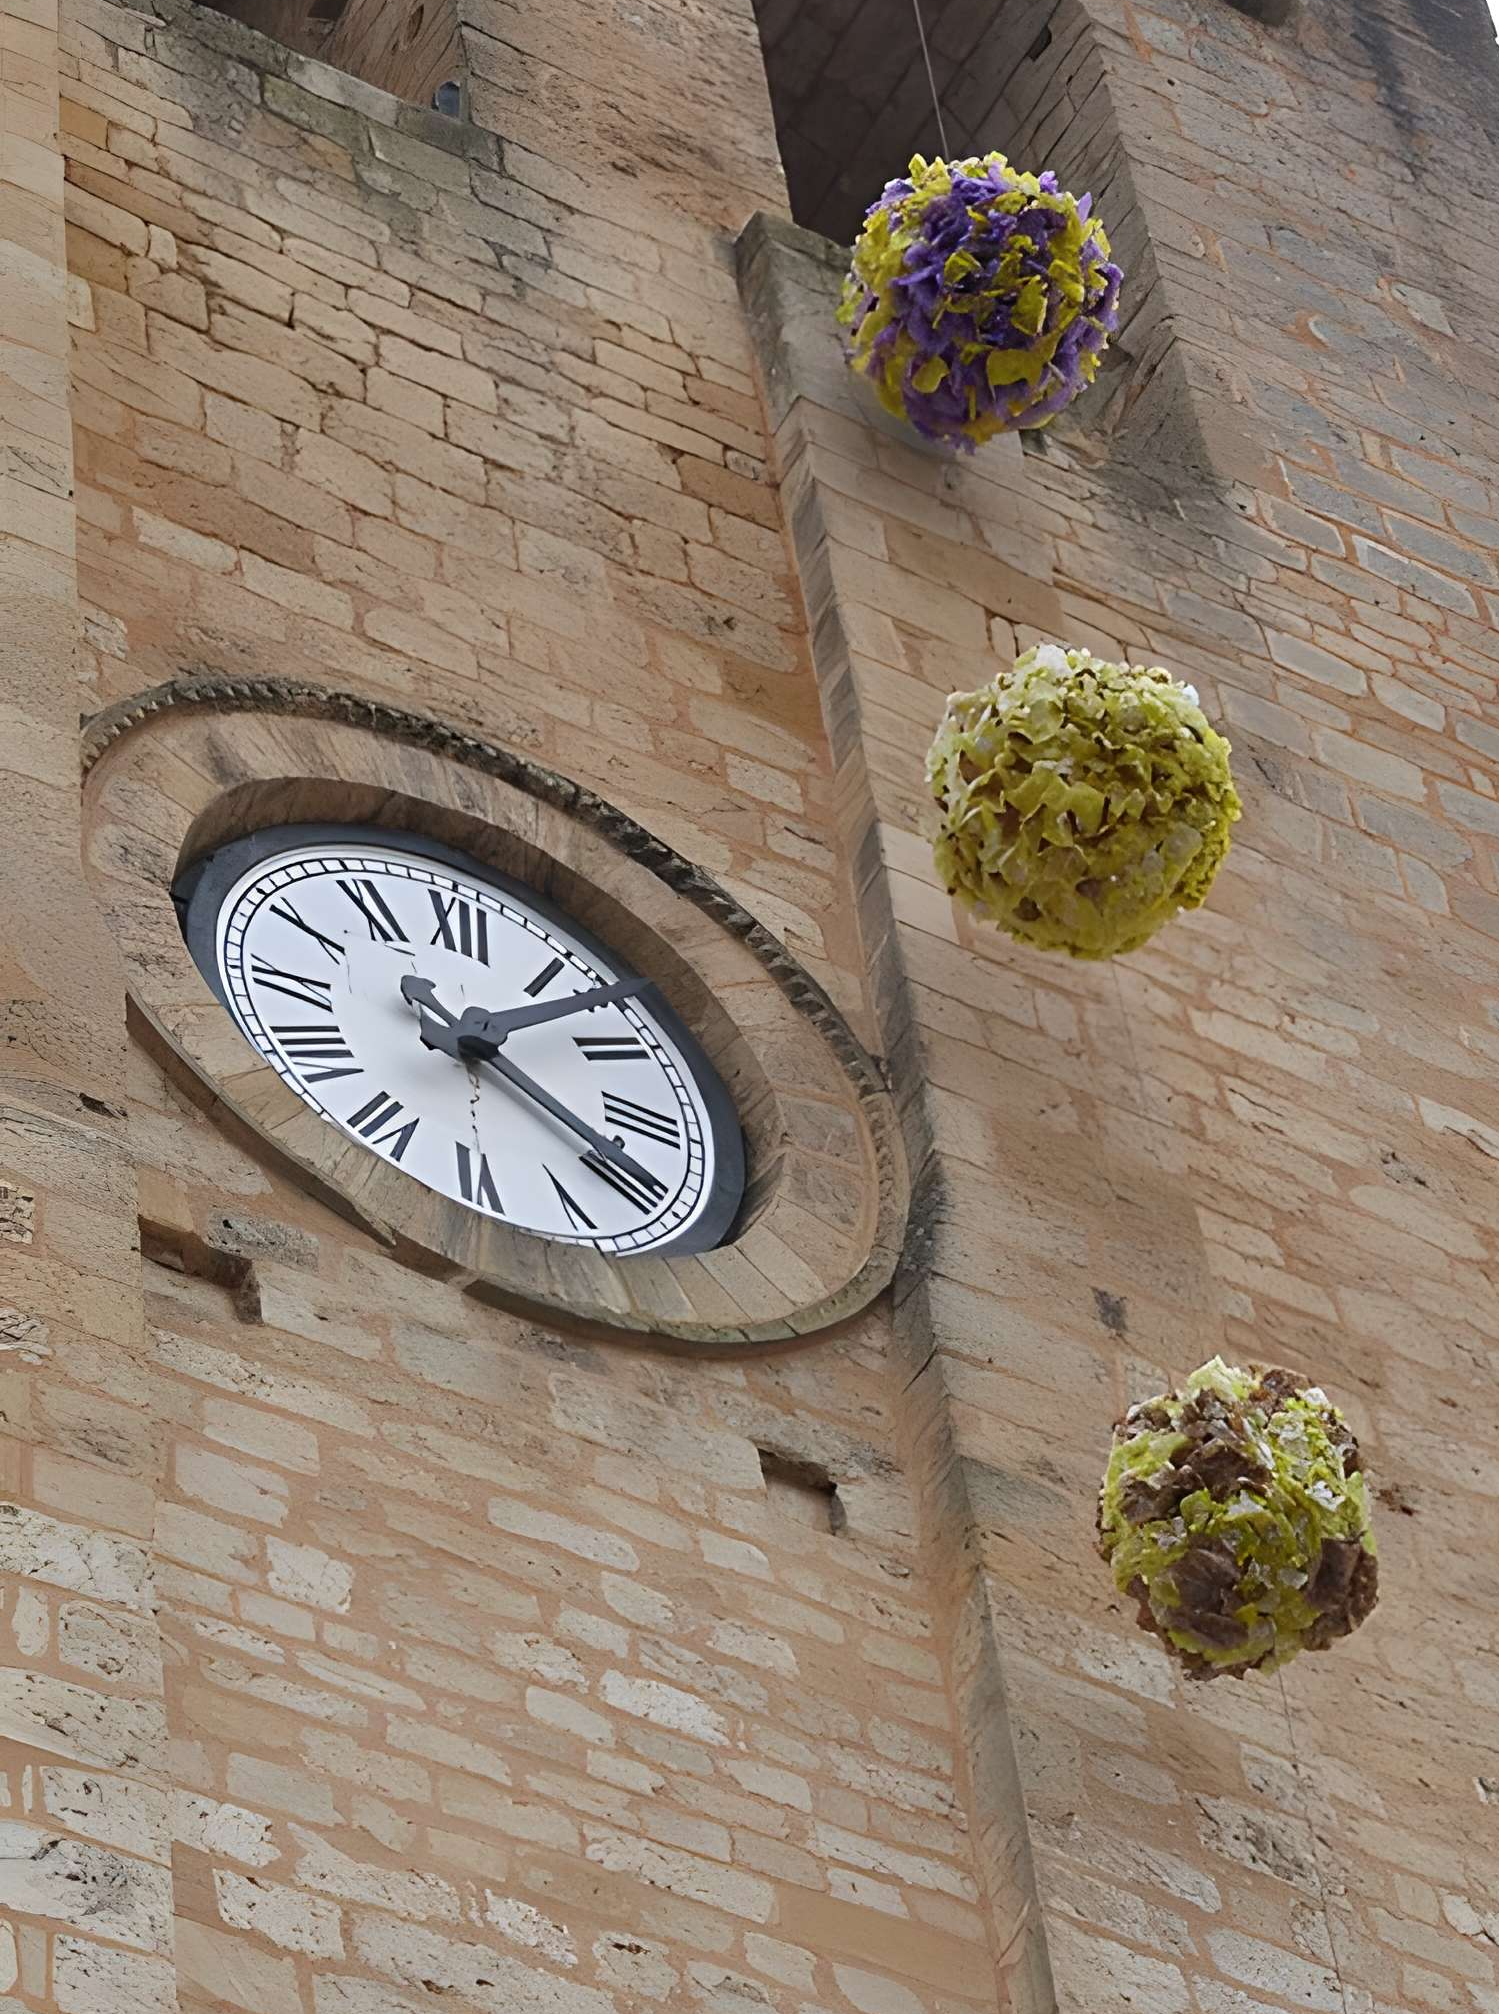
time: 4:07
